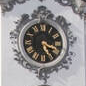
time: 5:18
